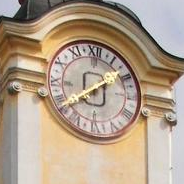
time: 1:39
